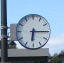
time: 6:15
